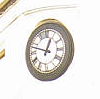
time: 12:47
